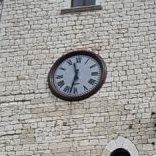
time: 11:32
